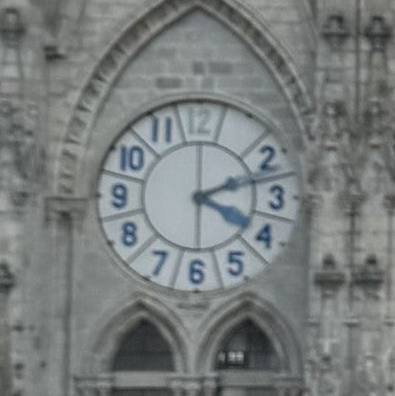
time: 4:12
